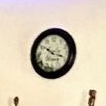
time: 10:17
